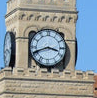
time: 3:41
